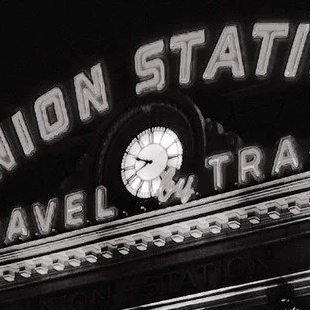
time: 9:40
